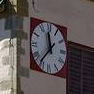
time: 11:36
